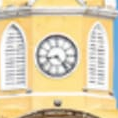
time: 8:23
